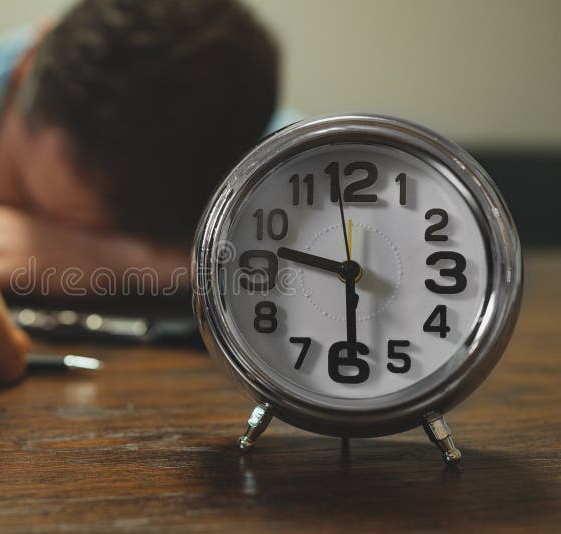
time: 5:47
